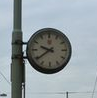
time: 9:39
